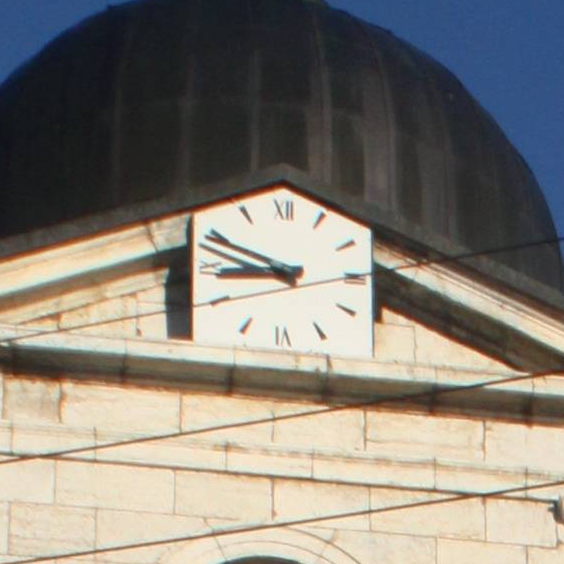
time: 8:49
